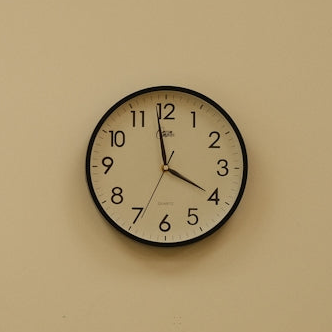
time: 3:58
